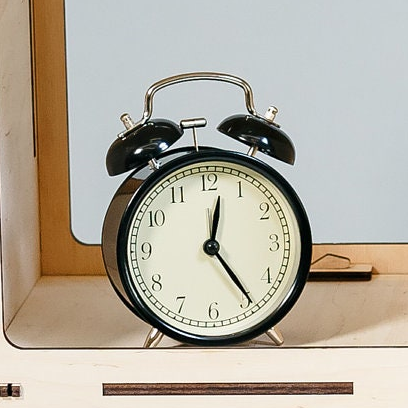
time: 12:24
